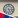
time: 5:15
